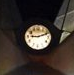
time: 9:11
